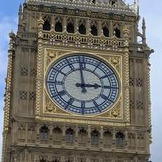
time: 2:58
